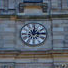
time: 12:14
